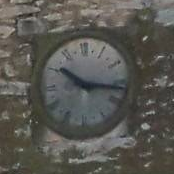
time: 10:16
